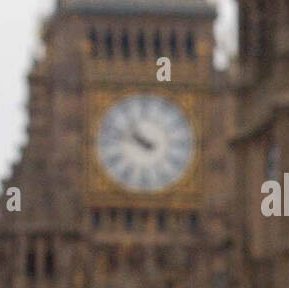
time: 10:47
